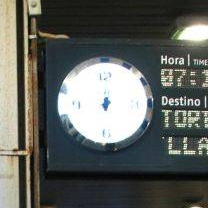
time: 6:01
